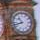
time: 10:42
